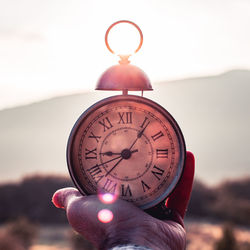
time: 9:05
